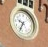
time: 9:34
